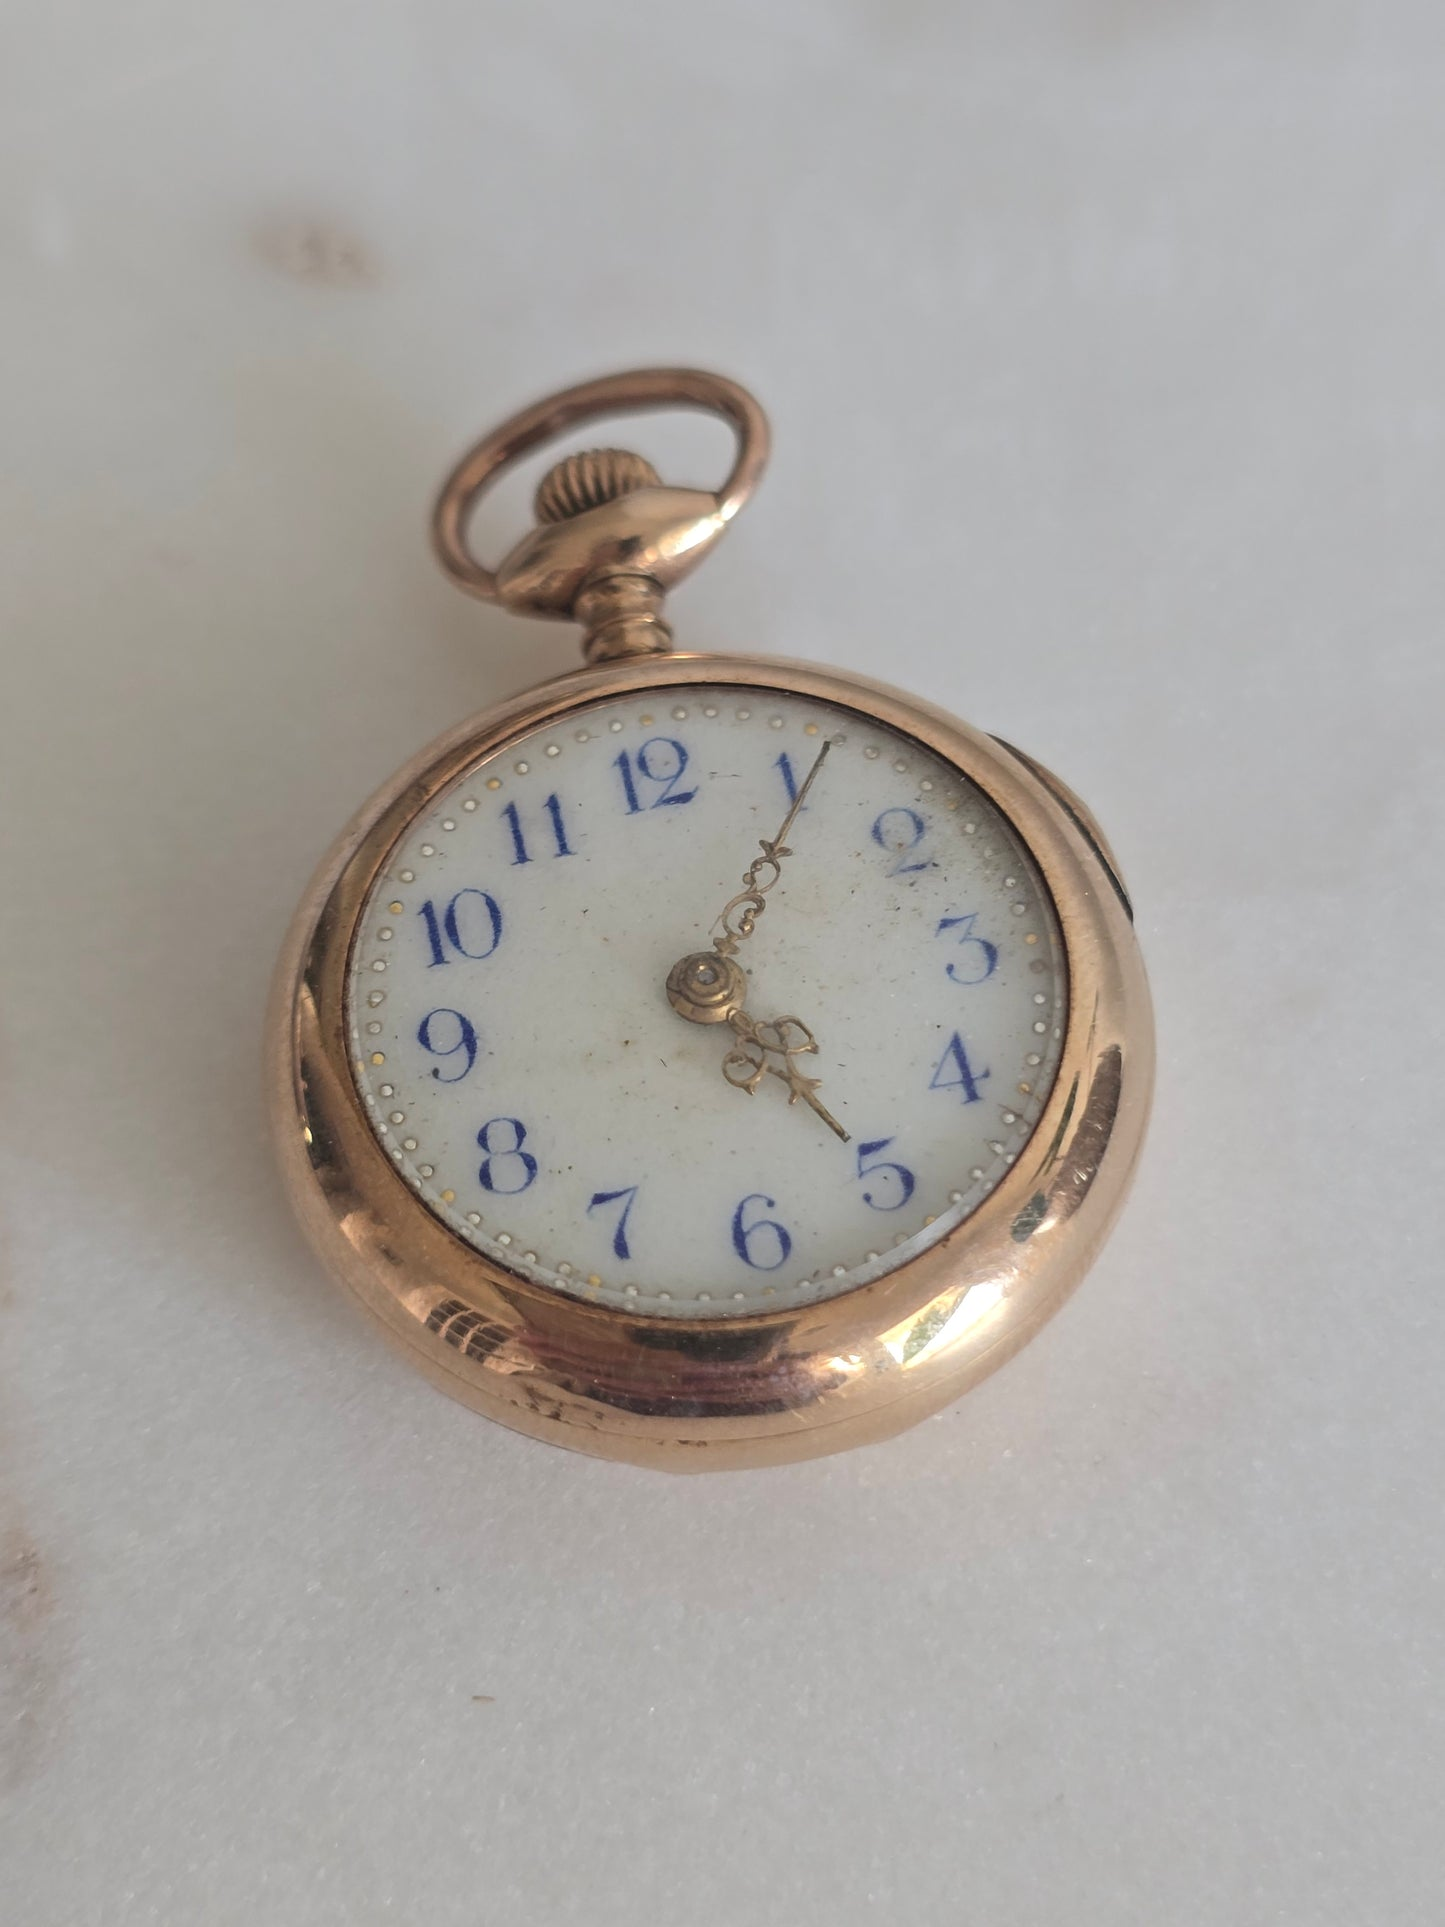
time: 5:05
